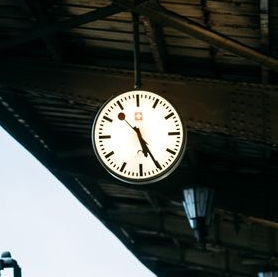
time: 5:25
